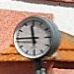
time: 11:45
